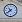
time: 7:53
